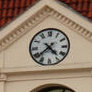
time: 4:38
